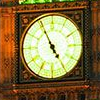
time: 4:55
